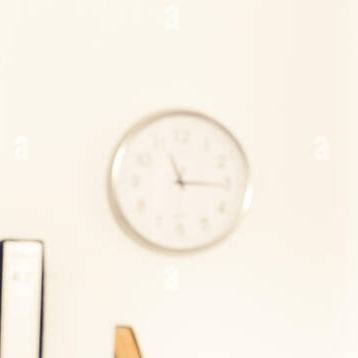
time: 11:15
